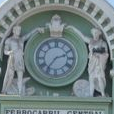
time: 2:36
